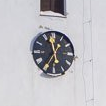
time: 11:35
